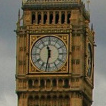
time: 11:31
